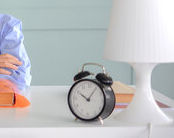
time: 10:06
